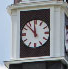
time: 11:52
